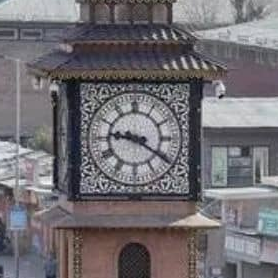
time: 9:20
